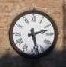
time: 2:27
